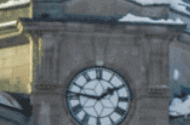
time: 1:46
